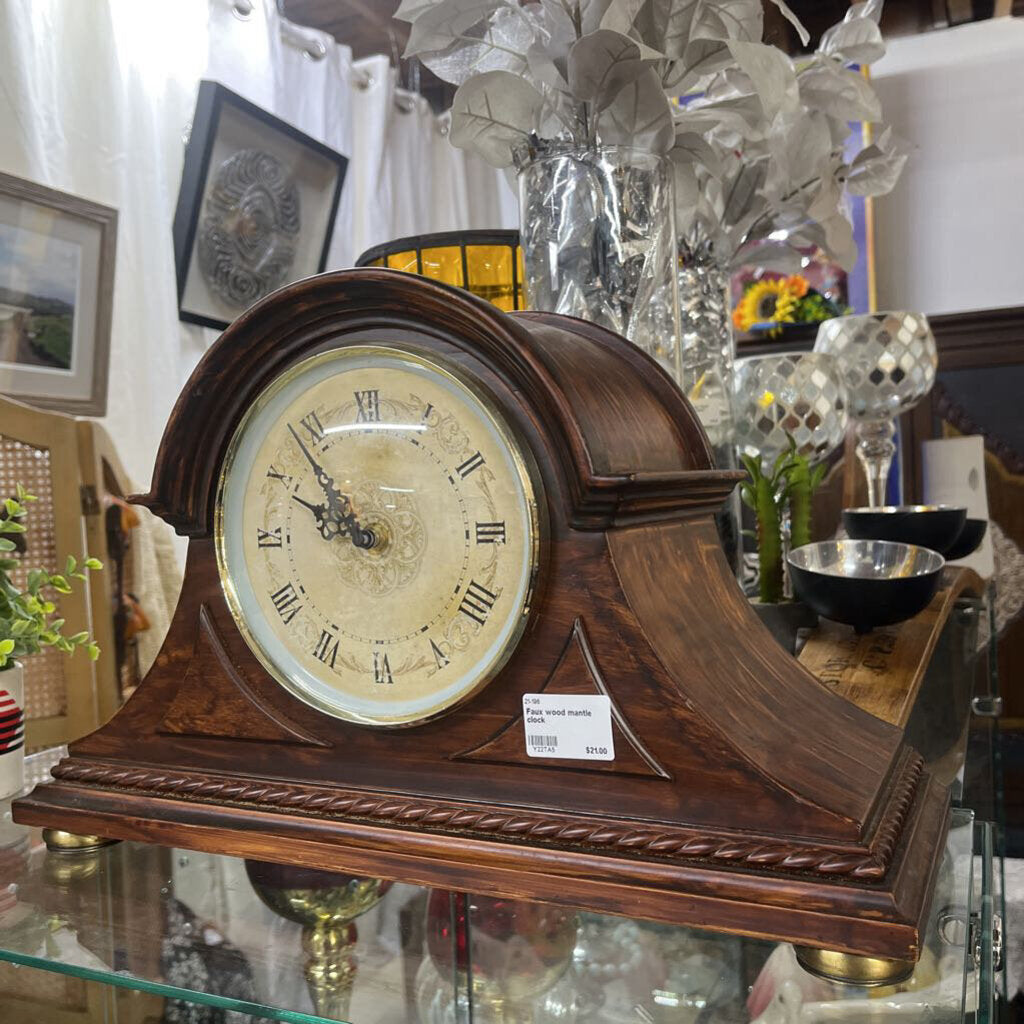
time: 9:53
